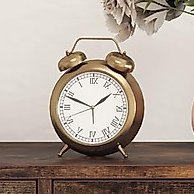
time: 1:48
